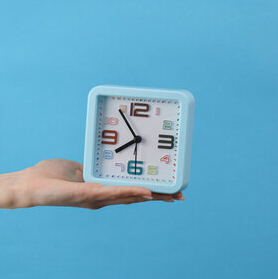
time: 7:53
